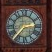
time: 2:36
